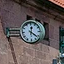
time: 12:21
